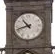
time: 10:42
